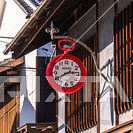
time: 2:40
